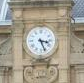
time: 3:26
